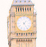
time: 1:24
